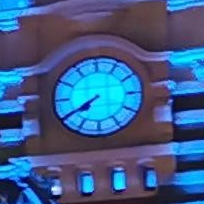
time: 7:40
